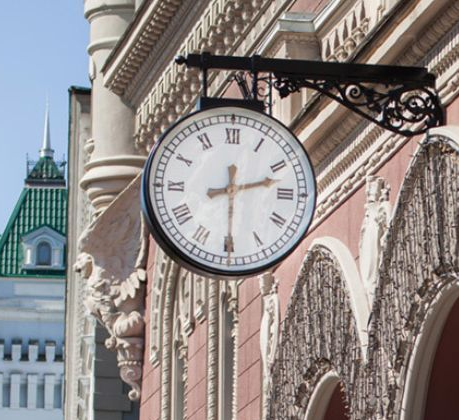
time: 2:29
